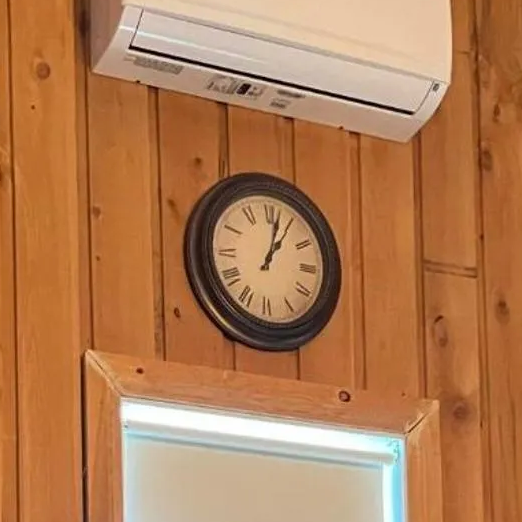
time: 1:02
